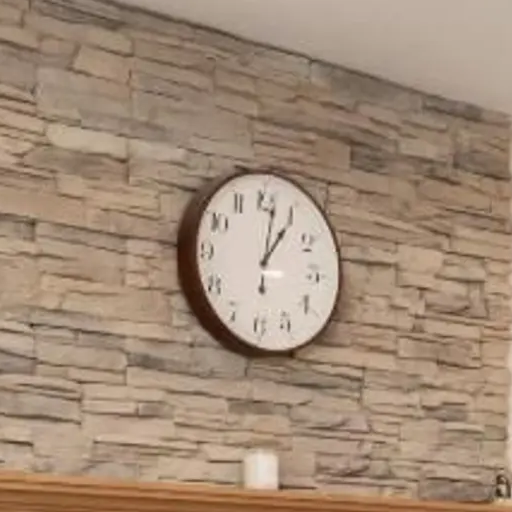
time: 1:01
